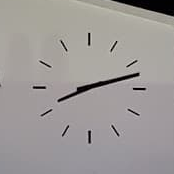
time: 8:12
